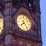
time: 7:24
